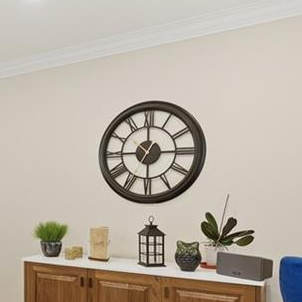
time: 2:59
